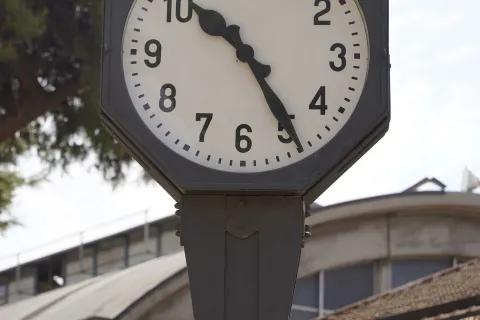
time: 10:24
